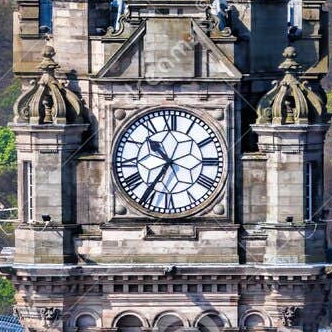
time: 10:35
